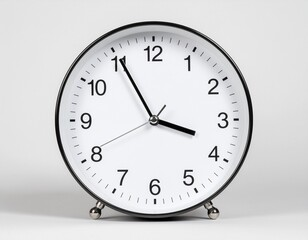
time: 3:55
